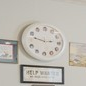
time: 2:47
